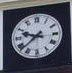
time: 9:38
